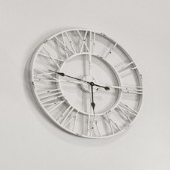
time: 5:47
